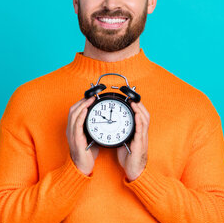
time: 10:00
